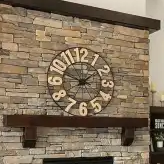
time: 1:48
